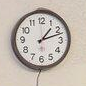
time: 1:11
